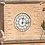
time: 12:14
